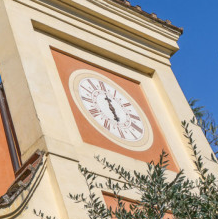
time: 5:59
